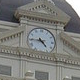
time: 4:44
